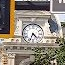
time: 4:33
